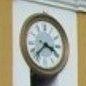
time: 3:37
